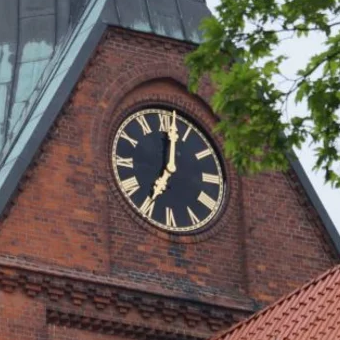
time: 7:01
